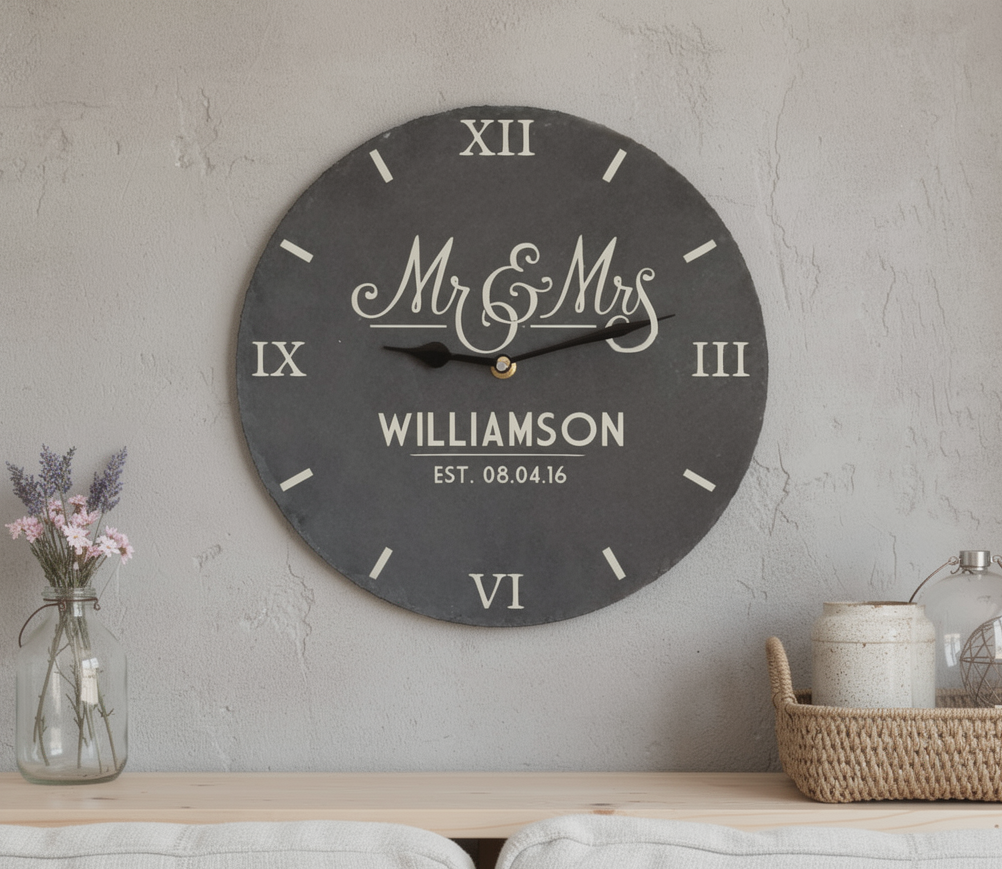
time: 9:13
